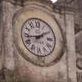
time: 1:43
